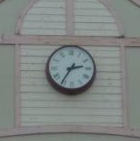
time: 2:35
